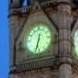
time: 6:32
